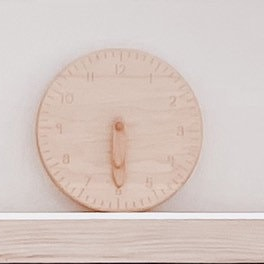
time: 5:30
